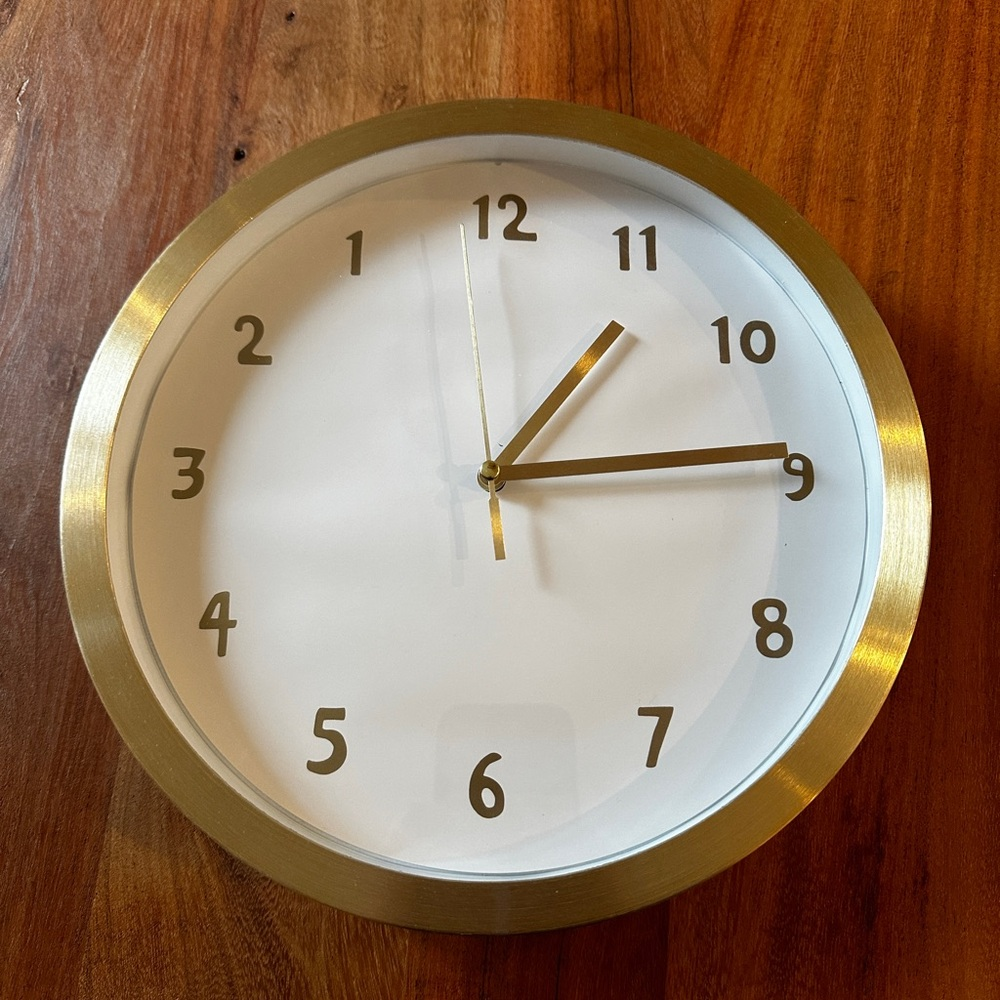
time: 1:14
